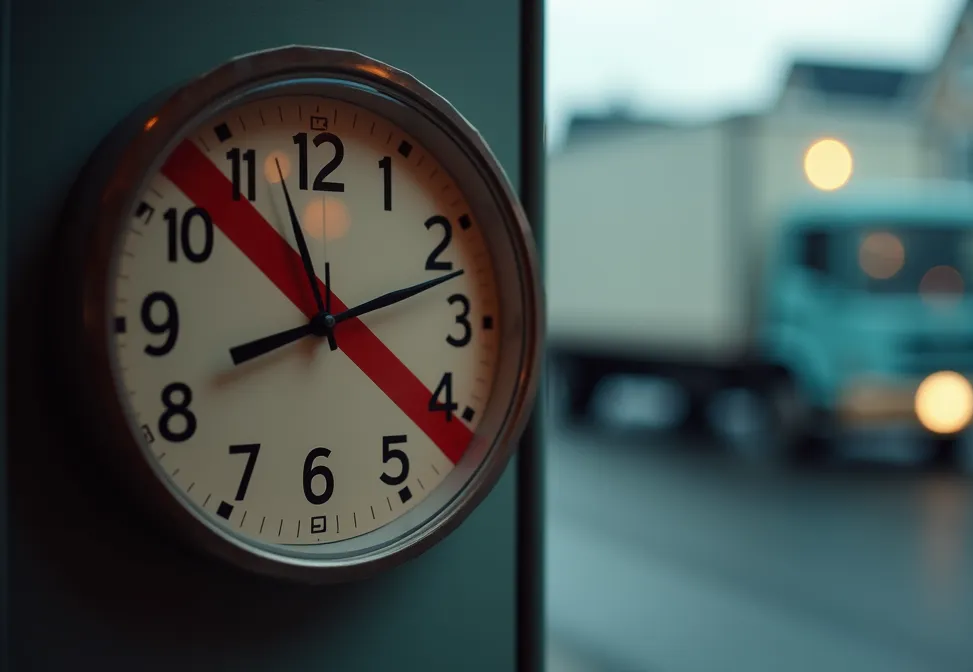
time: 8:12
